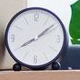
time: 8:09
